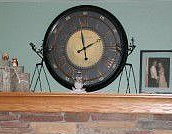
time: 1:58
